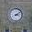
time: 3:09
